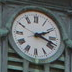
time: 2:18
